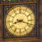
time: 8:18
